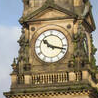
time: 10:17
